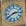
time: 2:40
